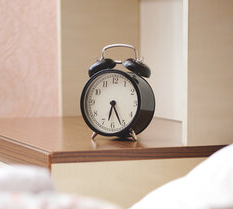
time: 6:25
